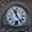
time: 11:24
